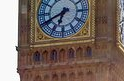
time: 6:40
